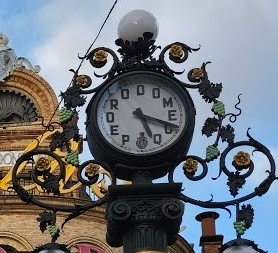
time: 5:18
